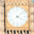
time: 4:08
